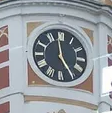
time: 4:58
